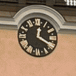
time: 12:19
